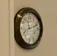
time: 8:11
